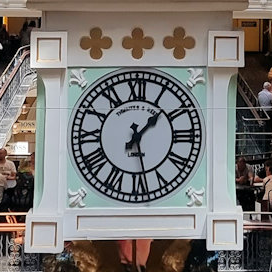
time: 1:28
